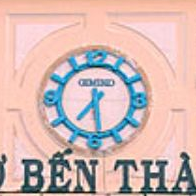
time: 7:28
